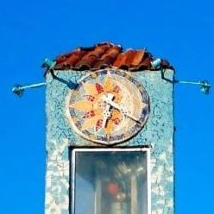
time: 6:19
